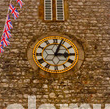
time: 3:03
